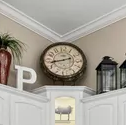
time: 8:42
